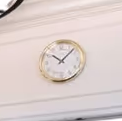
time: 10:07
